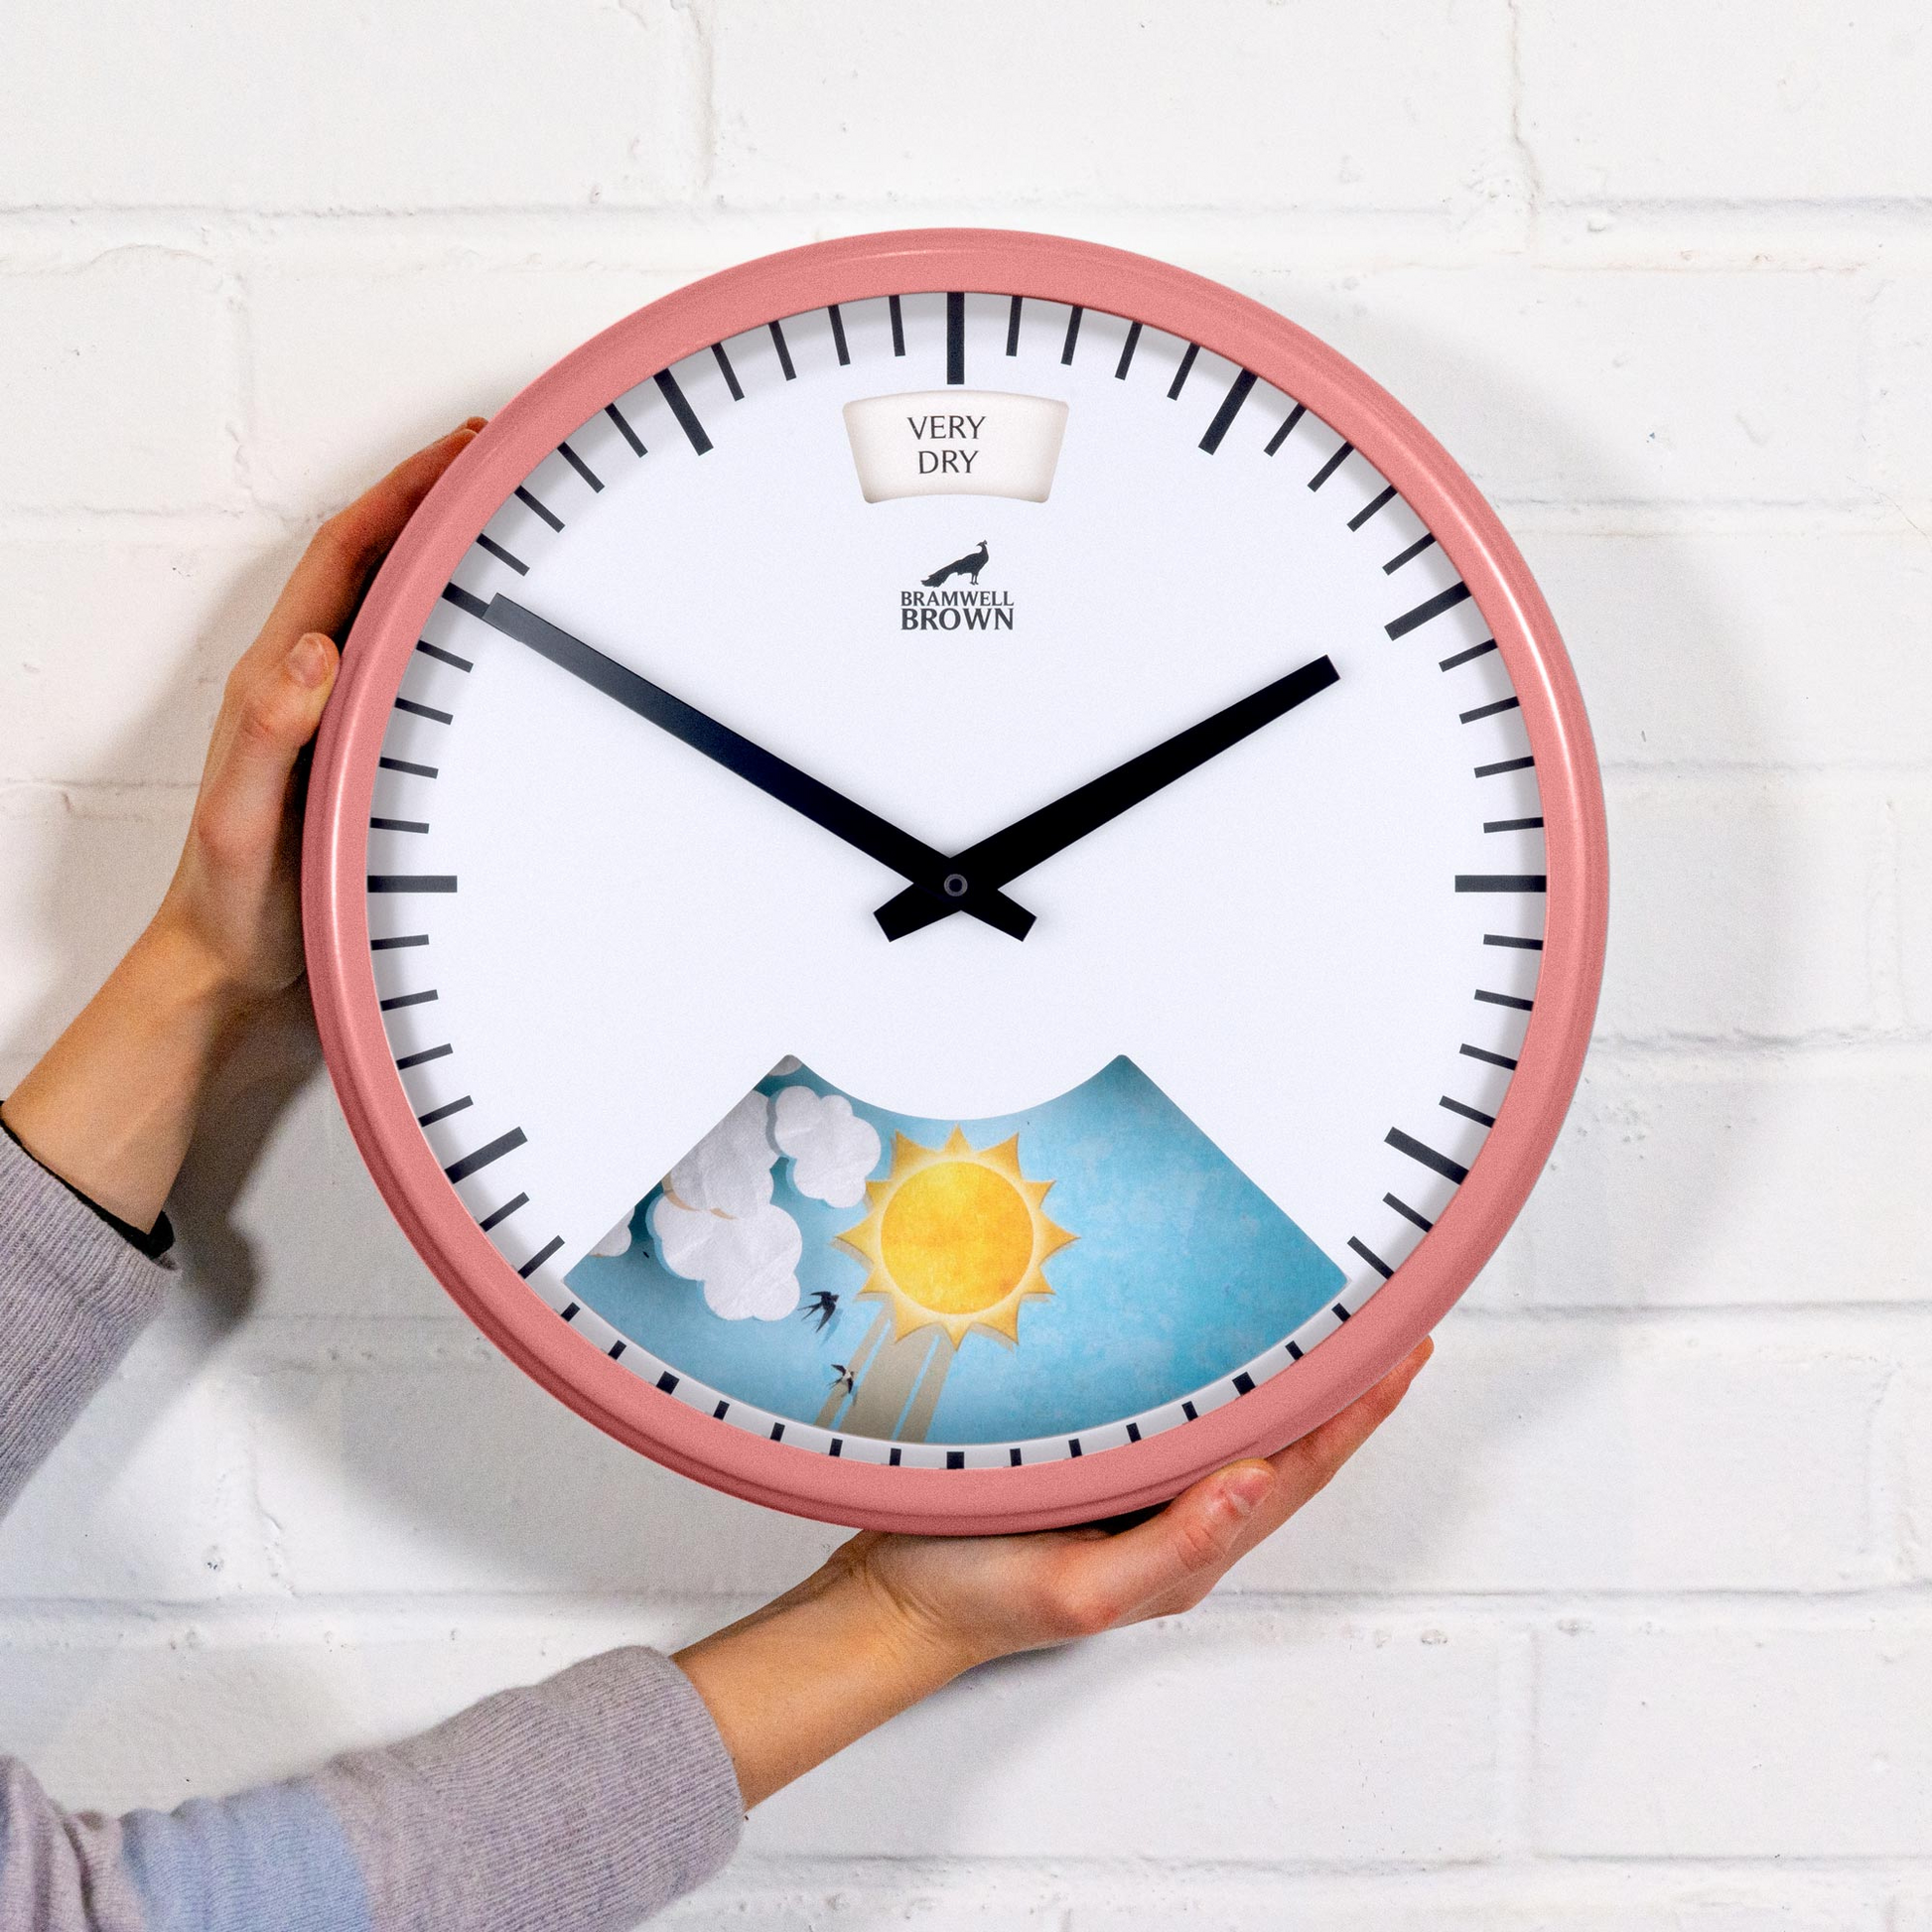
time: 1:50
